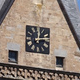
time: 12:13
